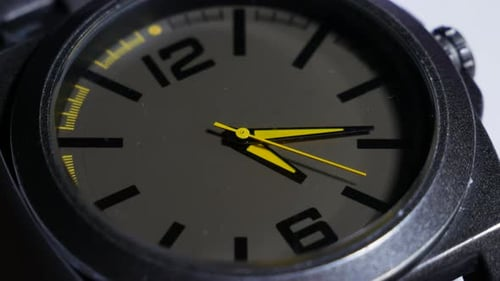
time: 4:14
